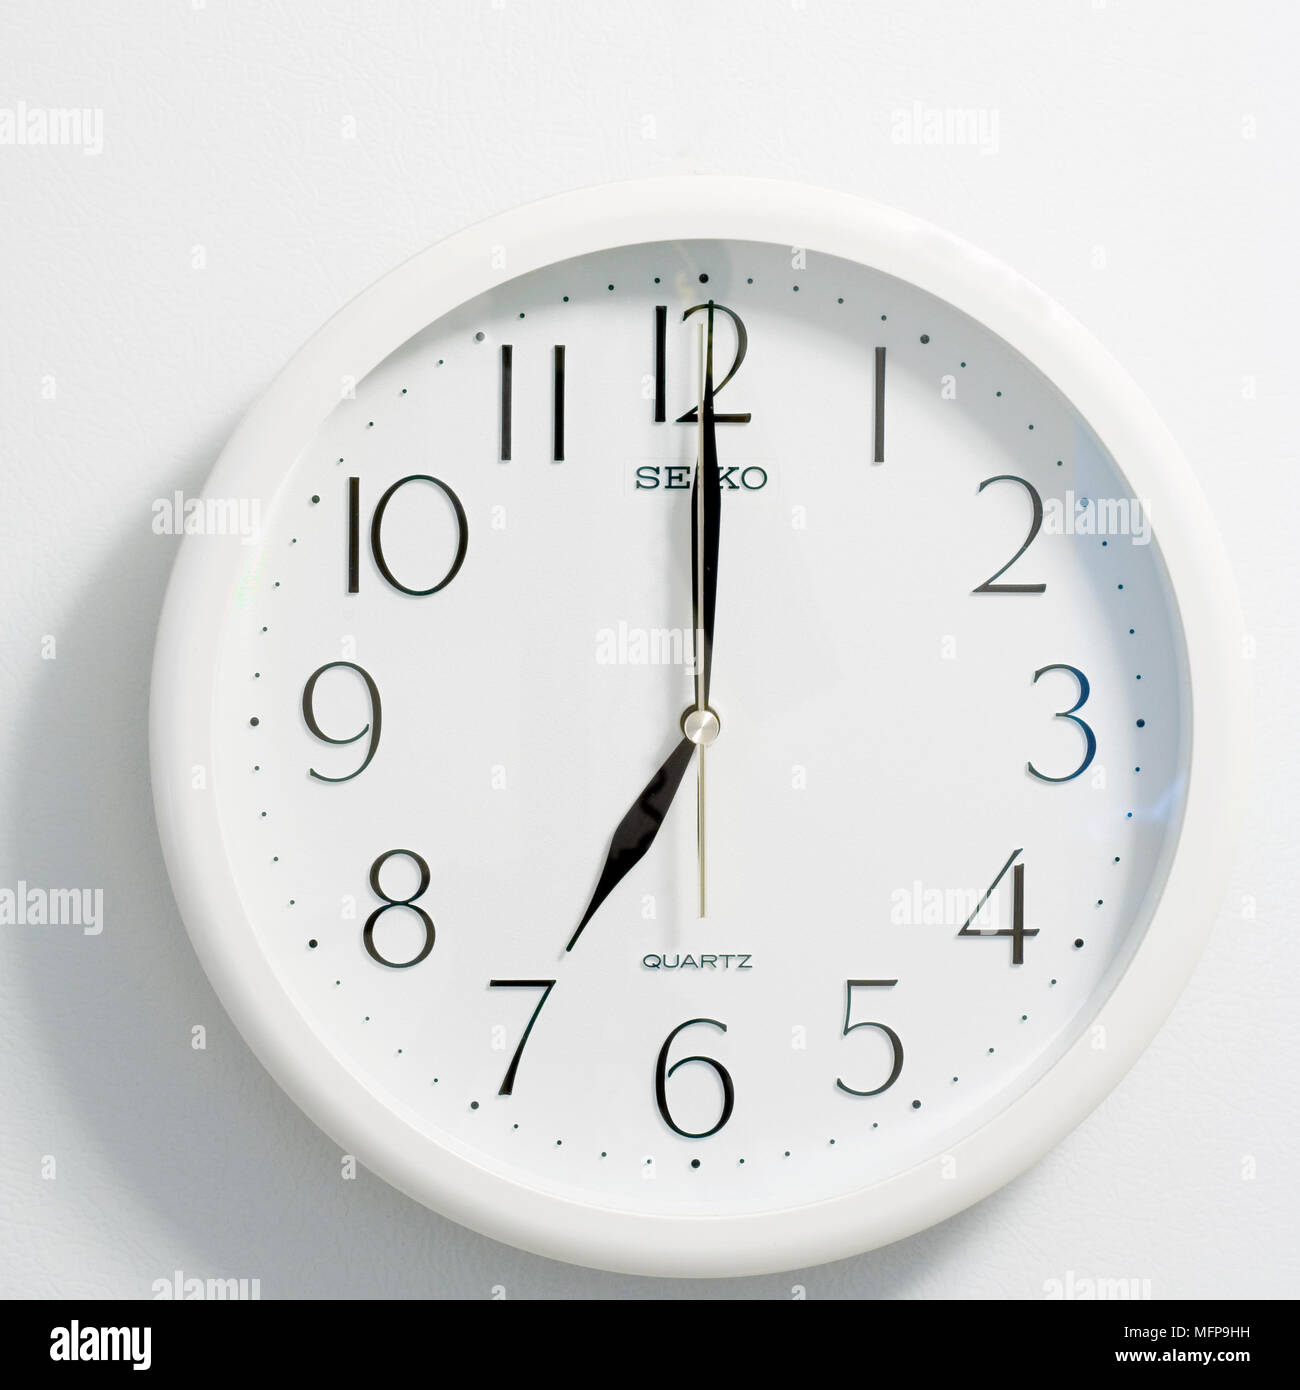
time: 7:00
